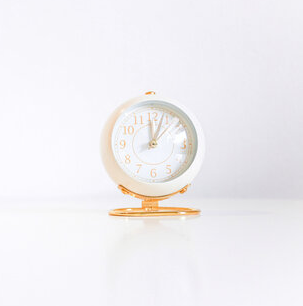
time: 12:03
